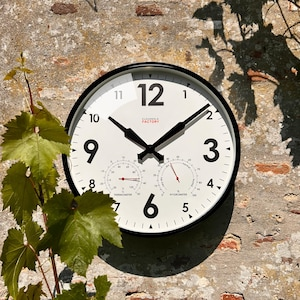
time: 10:08
